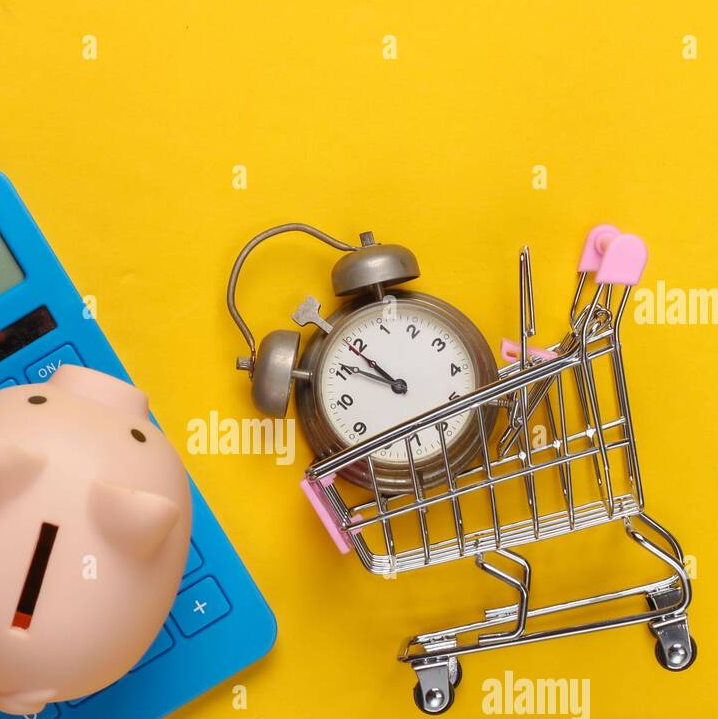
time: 10:51
